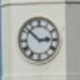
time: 2:52
